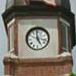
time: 4:58
